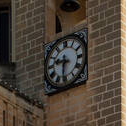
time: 9:31
